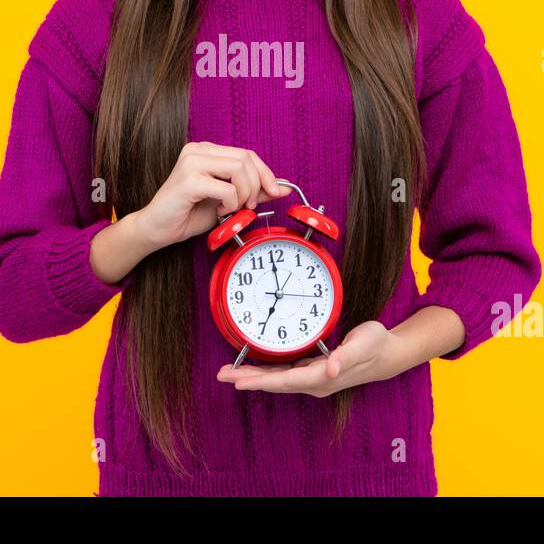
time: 6:59
